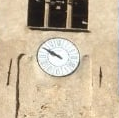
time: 9:50
